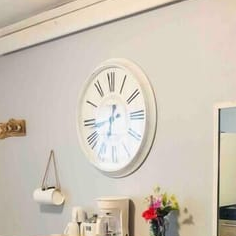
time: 6:43
